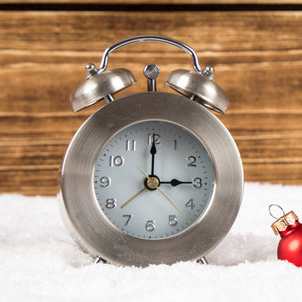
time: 3:00
